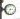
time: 7:15
